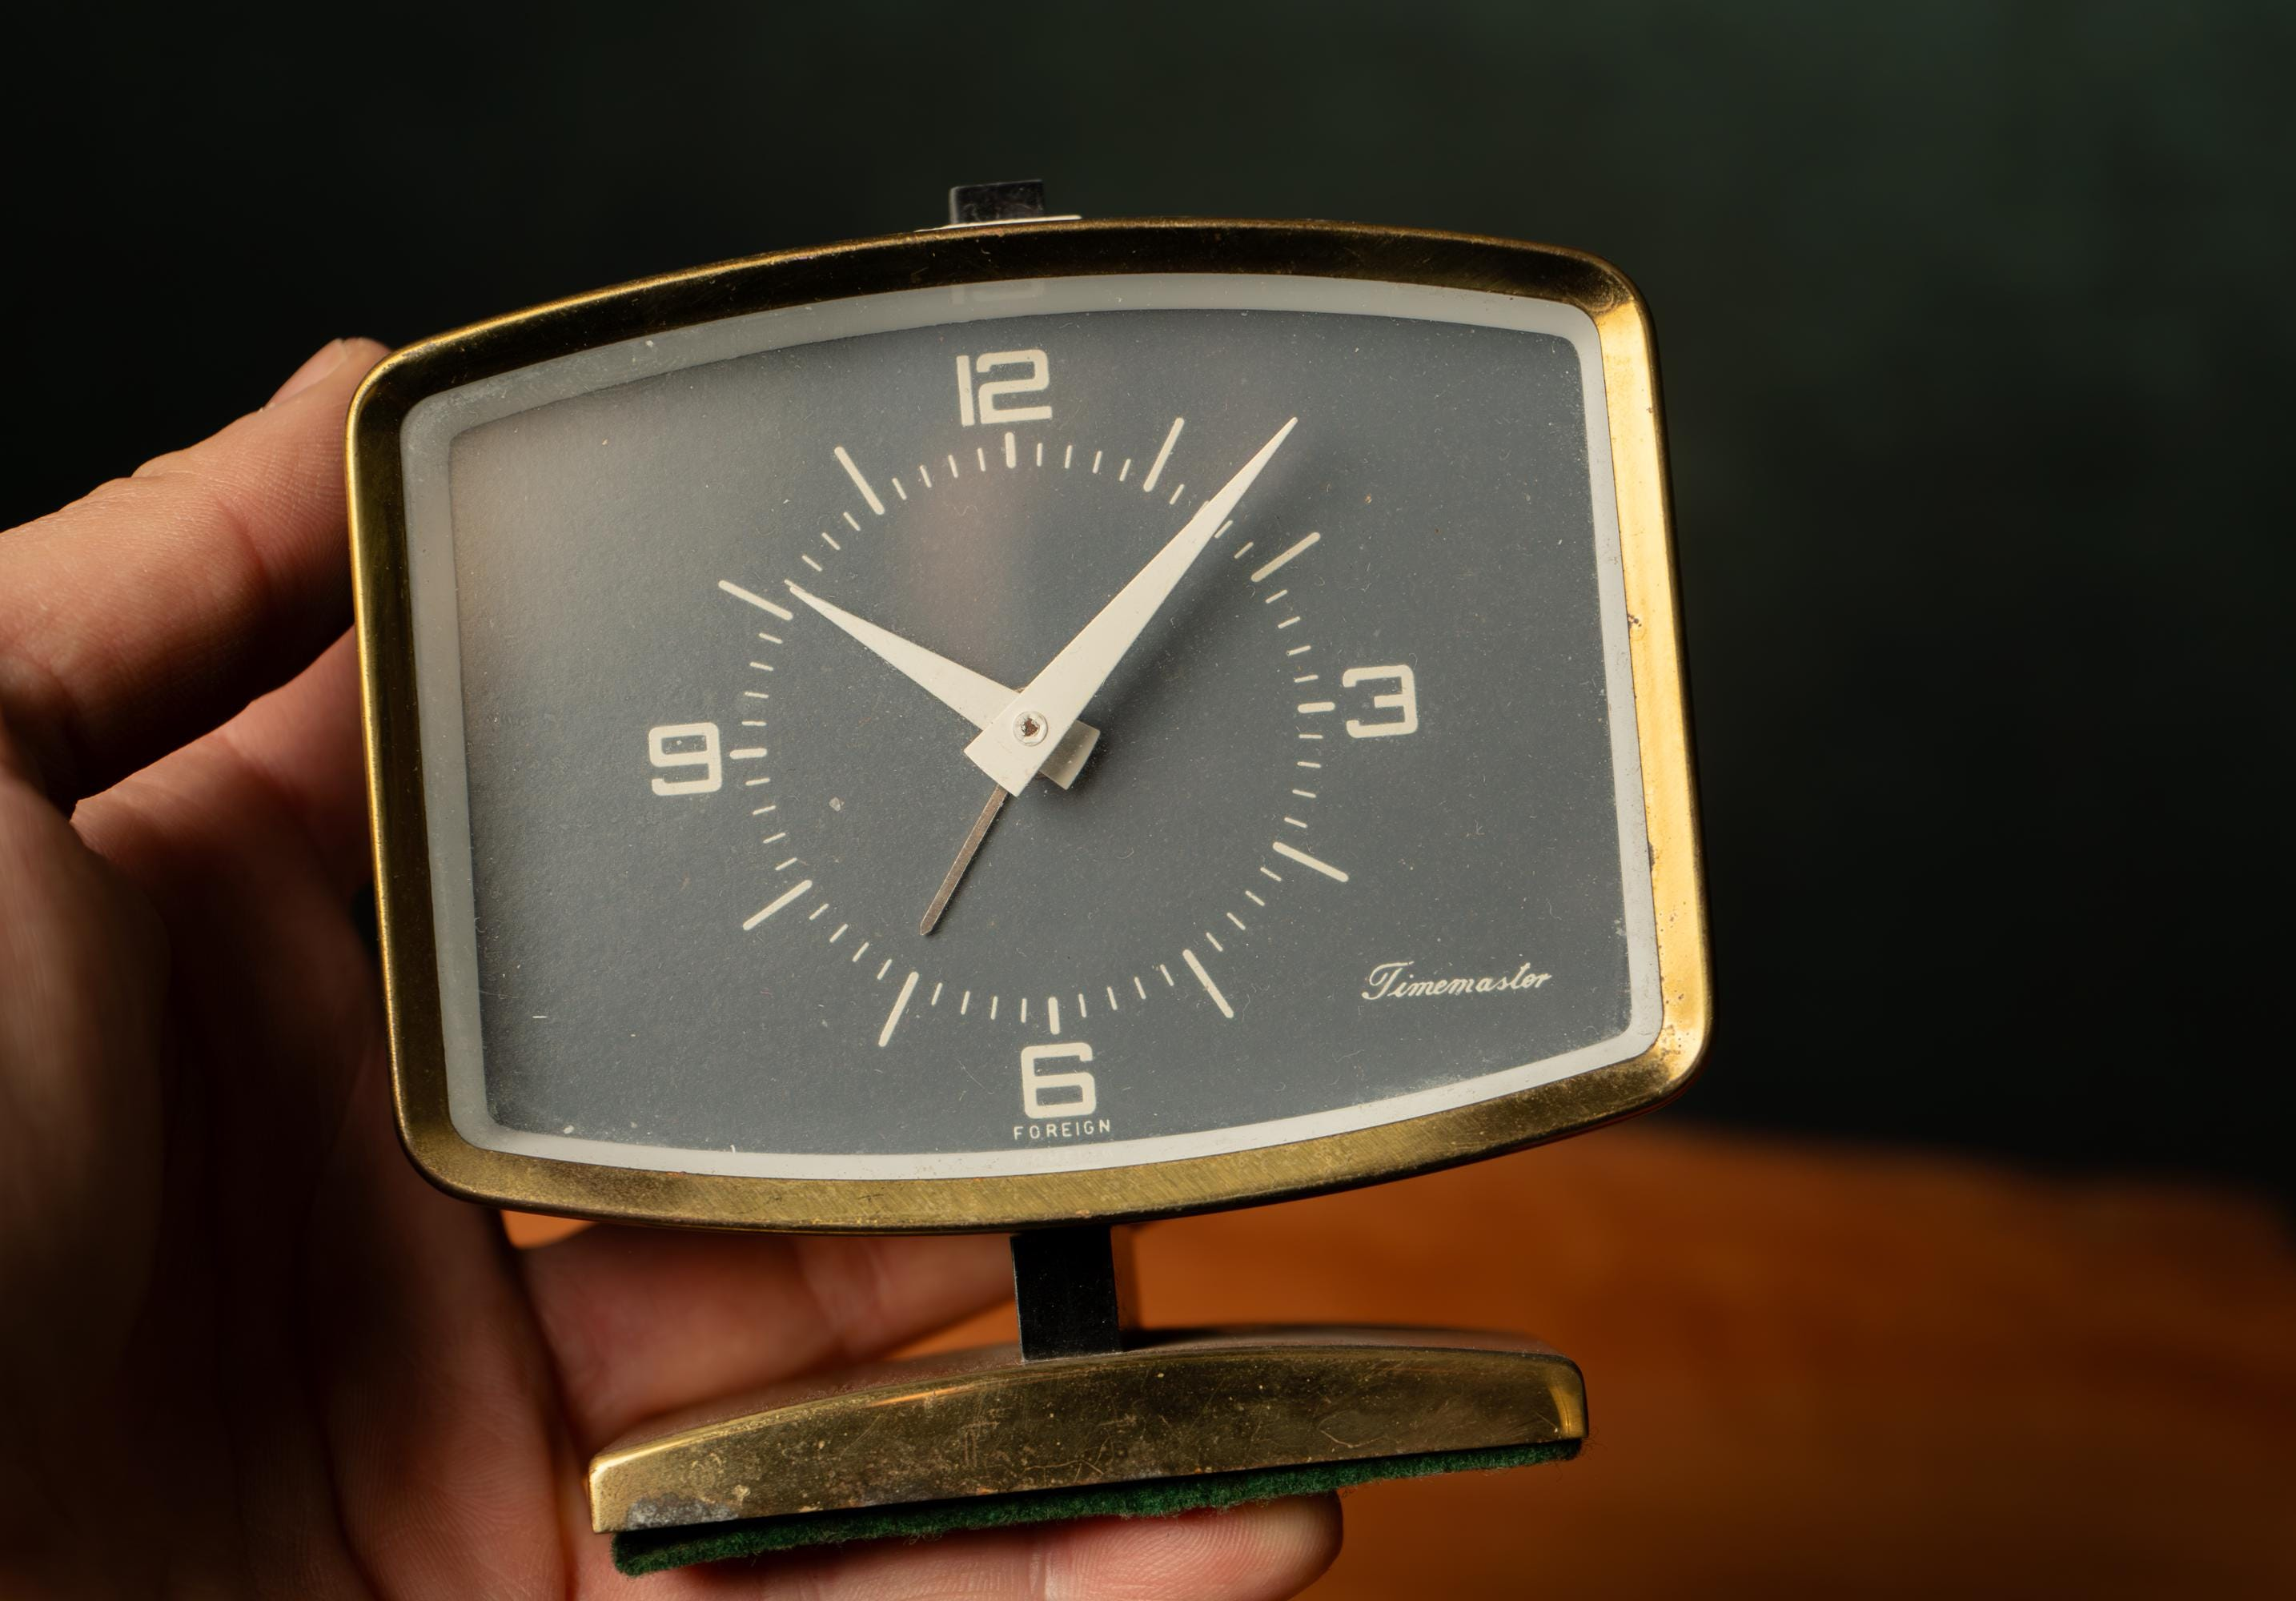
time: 10:07
